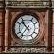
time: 10:36
